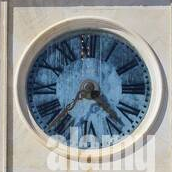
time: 4:36
